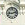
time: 9:12
